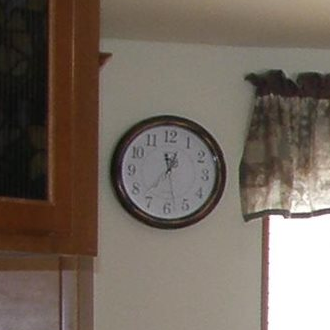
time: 12:36
